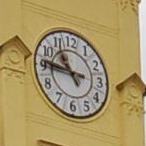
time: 10:45
